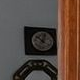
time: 12:52
